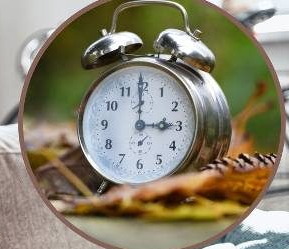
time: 2:59
